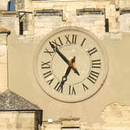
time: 6:52
